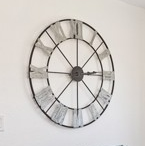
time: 2:59
